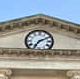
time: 7:10
